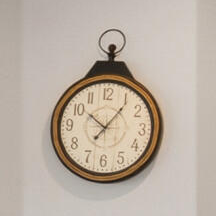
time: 10:06
